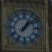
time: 1:08
